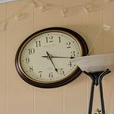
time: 5:17
